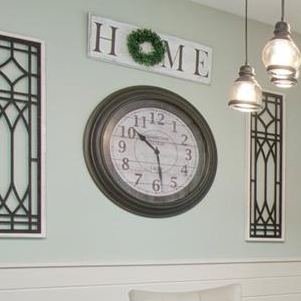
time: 10:28
